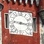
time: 9:16
